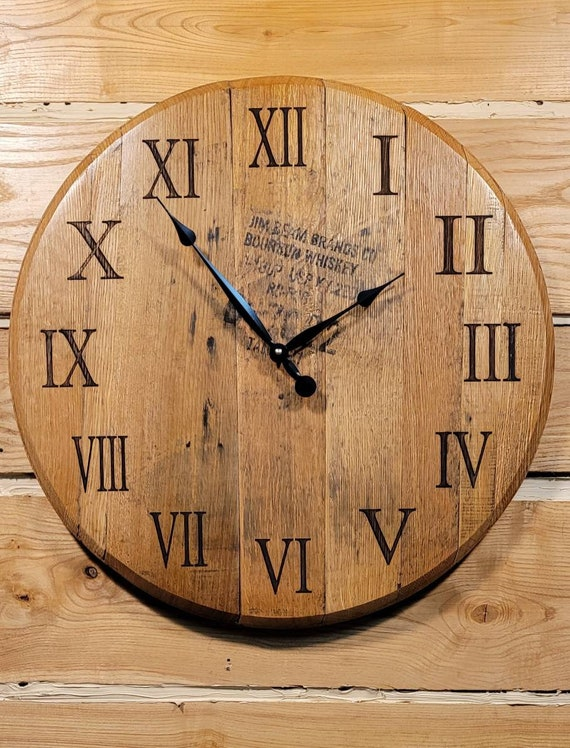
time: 1:53
